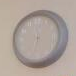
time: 11:32
